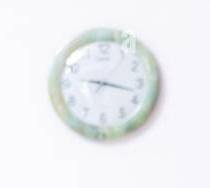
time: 9:17
